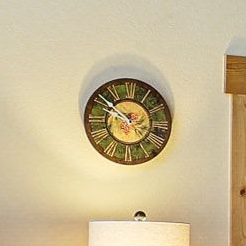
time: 9:51
